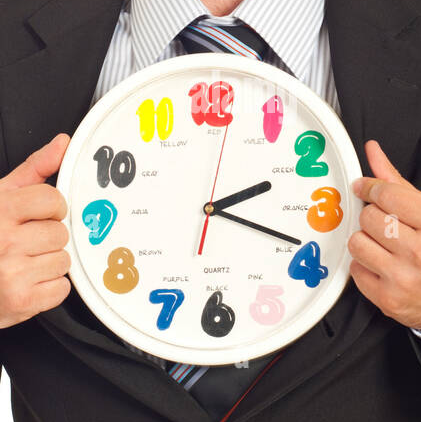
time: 2:18
